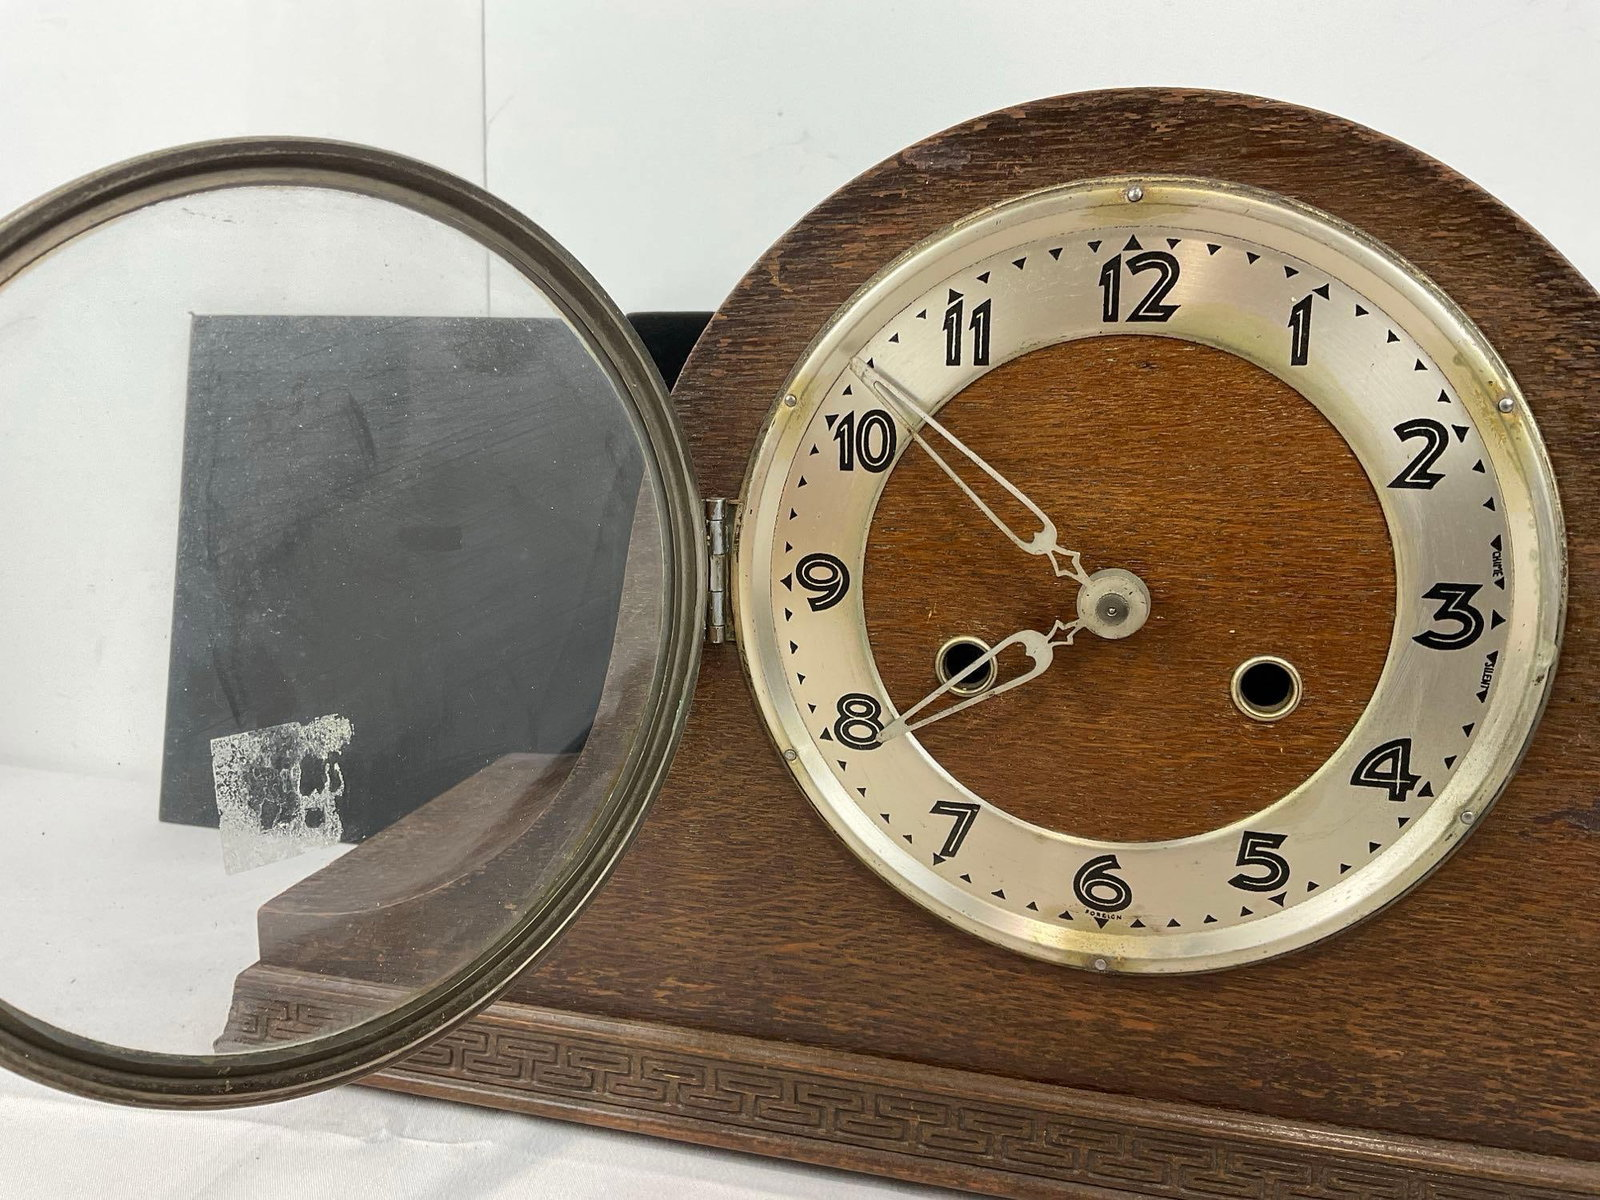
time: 7:51
